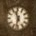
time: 11:32
